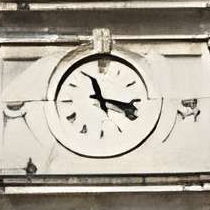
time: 11:17
